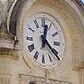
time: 12:21
